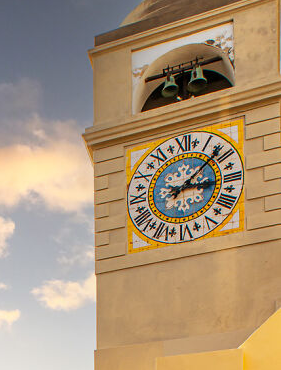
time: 3:07
